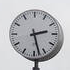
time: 2:27
